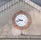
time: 9:42
